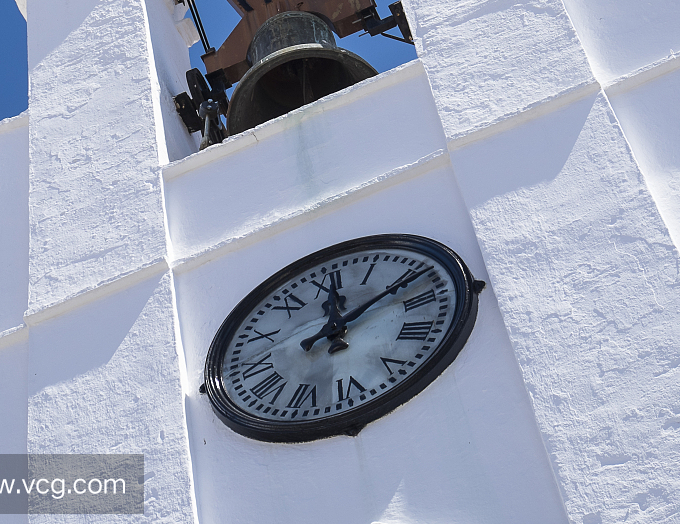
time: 12:10
